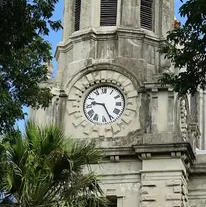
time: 9:25
